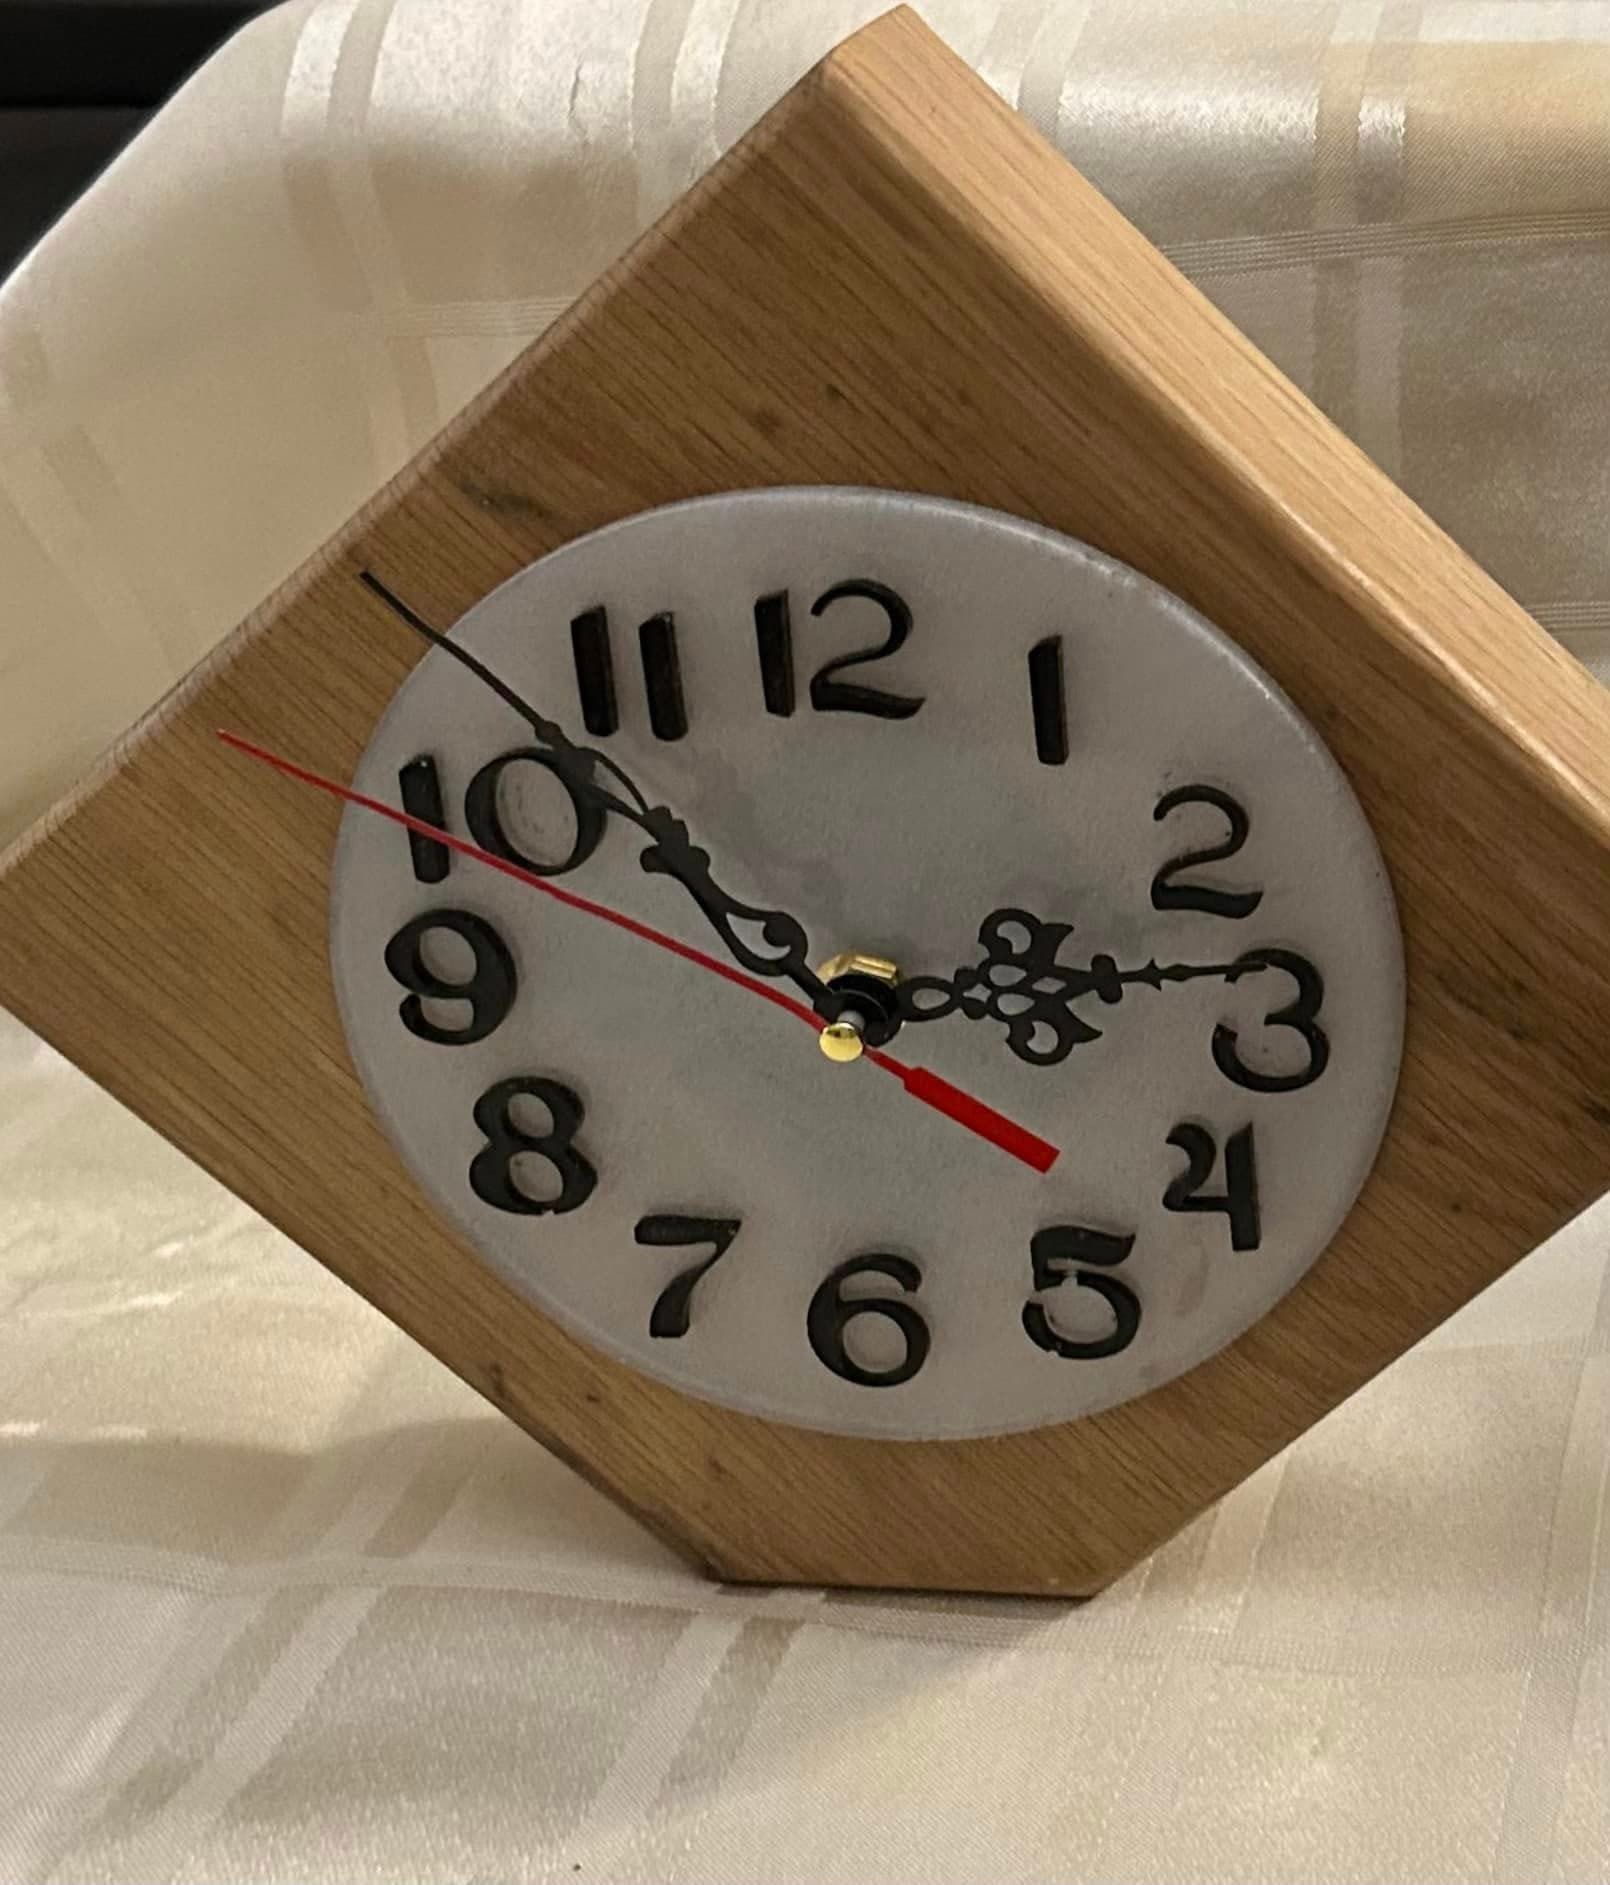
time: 2:52
